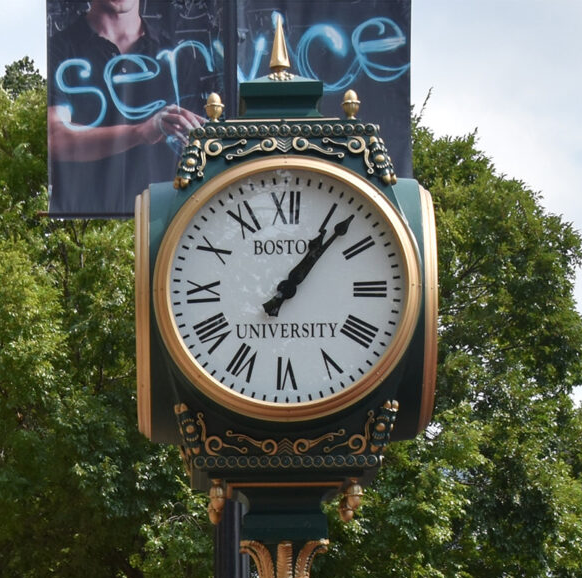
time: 1:07
